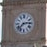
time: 2:38
